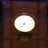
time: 7:36
